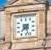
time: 7:27
